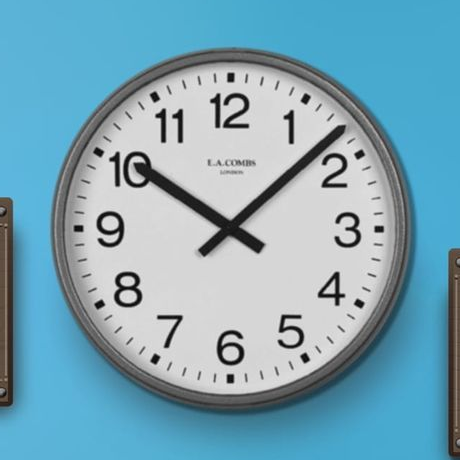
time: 10:07
